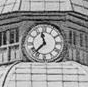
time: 11:37
